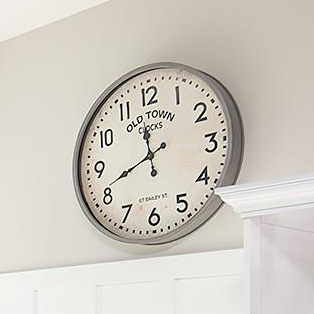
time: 11:41
